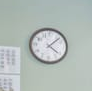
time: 4:07
